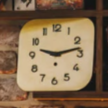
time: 9:12
